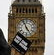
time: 4:56
